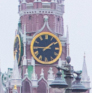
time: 1:45
